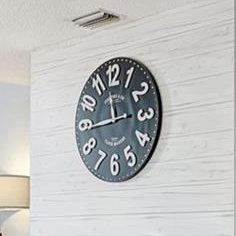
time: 11:44
